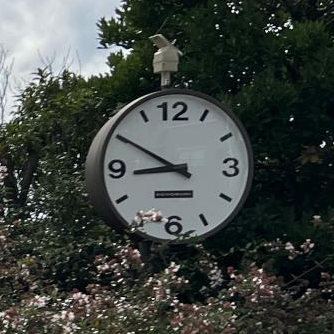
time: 8:50
